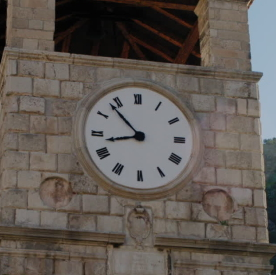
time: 10:42
